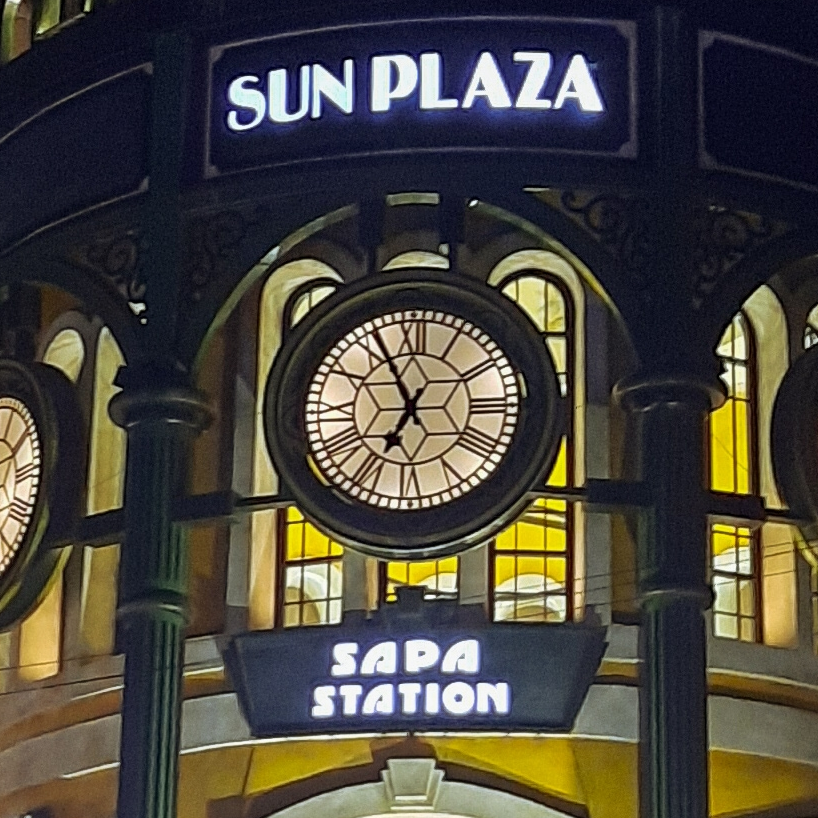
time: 6:55
